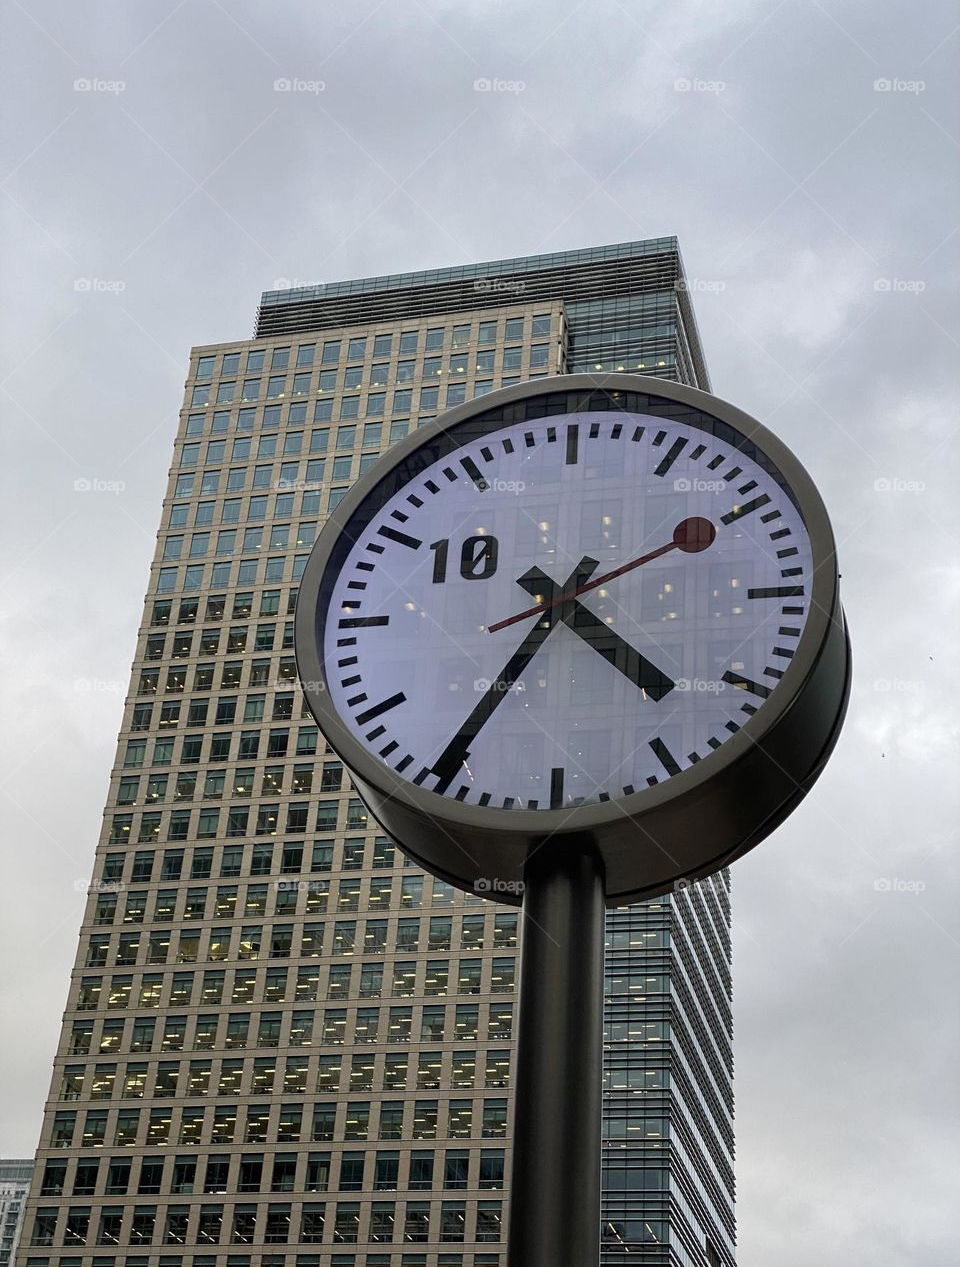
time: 4:35
